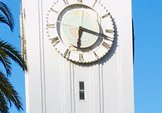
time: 6:17
